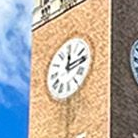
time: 12:13
